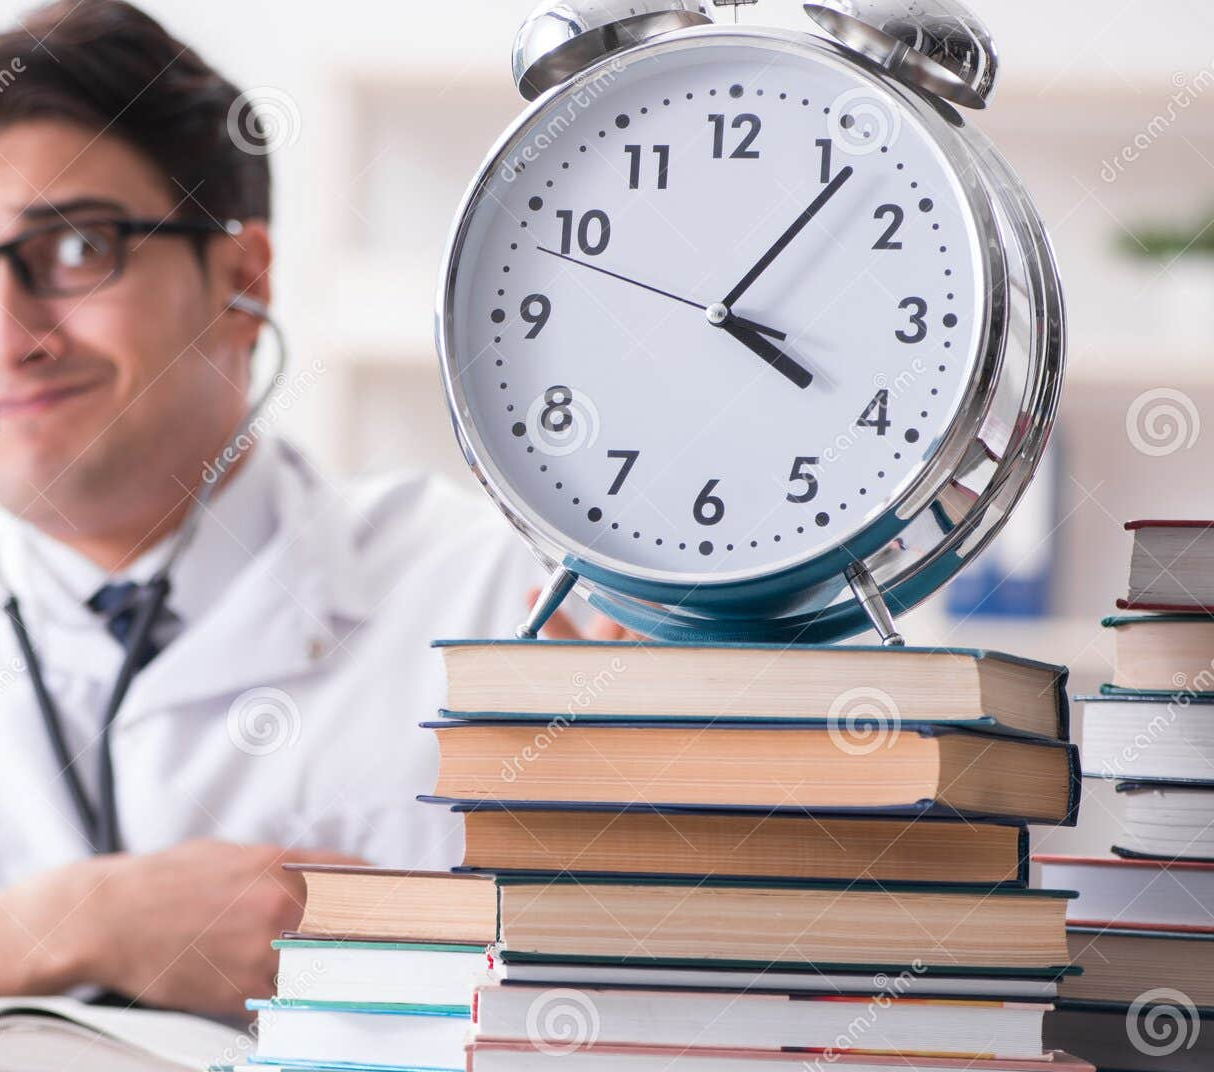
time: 4:06
